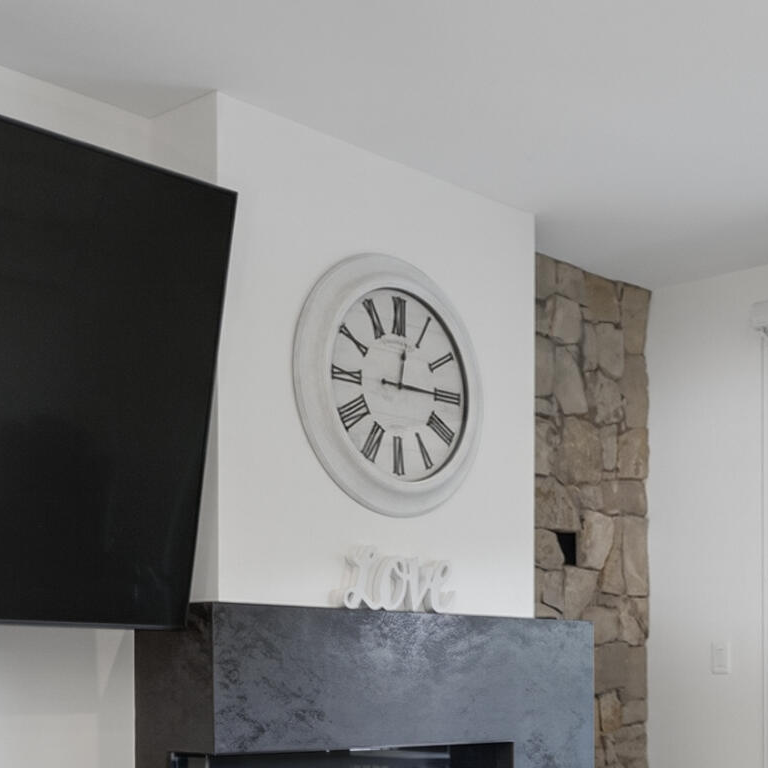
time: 12:15
